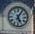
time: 5:05
